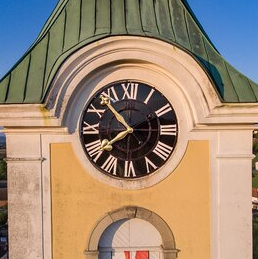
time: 7:53
